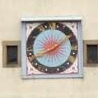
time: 8:09
